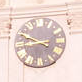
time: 8:49
